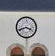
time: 3:41
